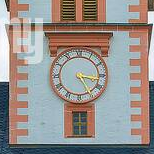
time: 3:25
